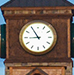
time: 8:54
